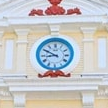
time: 8:50
